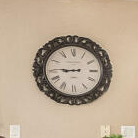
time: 8:45
